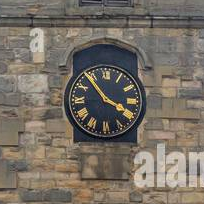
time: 3:53
